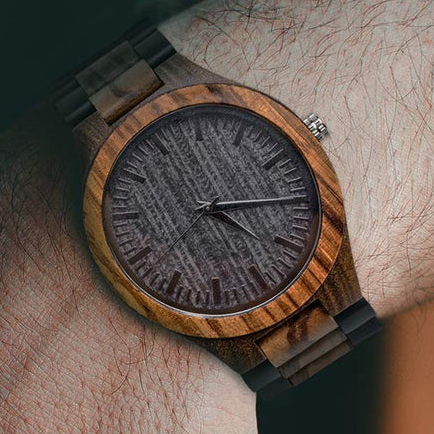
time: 4:14
